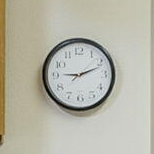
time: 9:11
